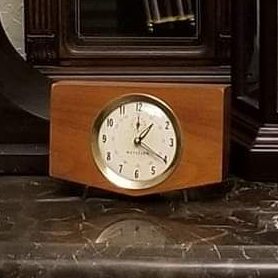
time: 1:20
